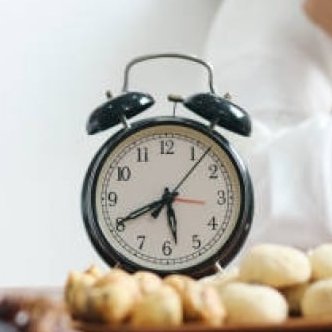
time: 5:40
